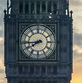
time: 7:43
